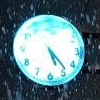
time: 5:23
